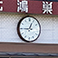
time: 12:45
